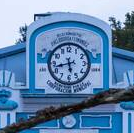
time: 5:42
